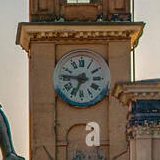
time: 6:46
